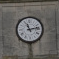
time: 11:13
